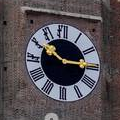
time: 10:14
